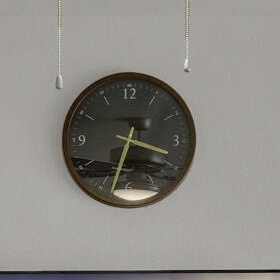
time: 3:33
